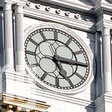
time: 5:15
